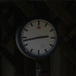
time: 2:42
